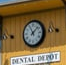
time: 11:07
